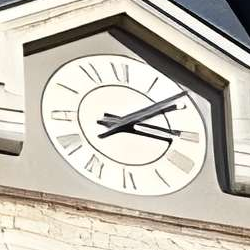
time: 3:09
